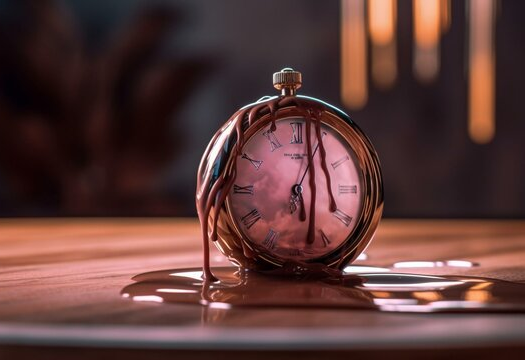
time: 6:01
